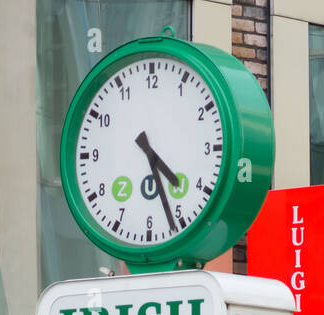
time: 4:26
